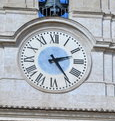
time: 2:24
